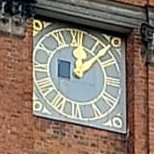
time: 12:07
